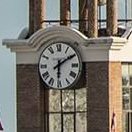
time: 6:09
